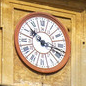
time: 10:17
